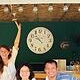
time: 9:53
